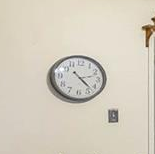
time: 4:22
